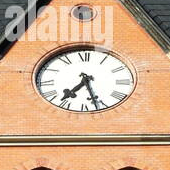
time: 7:27
